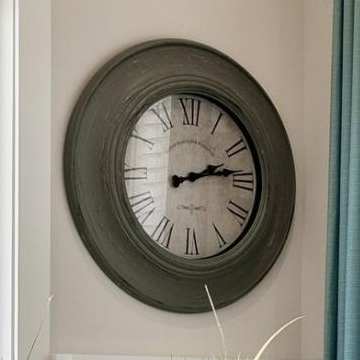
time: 2:13
